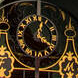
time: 12:20
